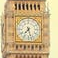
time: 7:27
